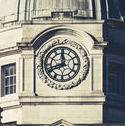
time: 11:41
